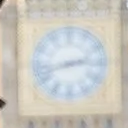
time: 2:42
